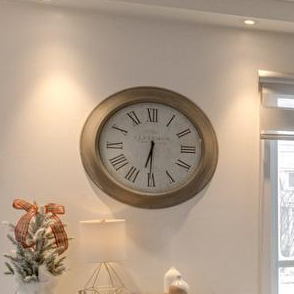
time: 6:30
